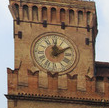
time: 12:10
